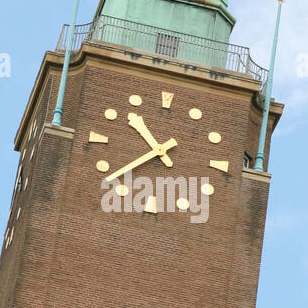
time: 10:38
